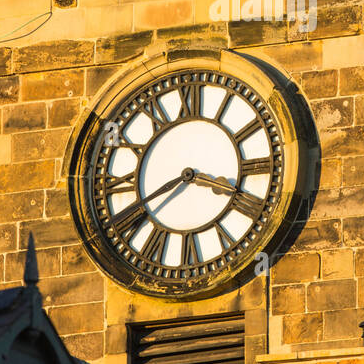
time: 3:40
